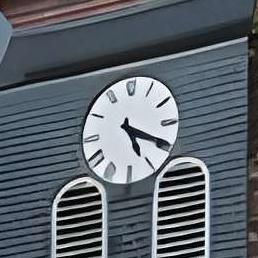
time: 5:19
